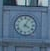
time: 4:04
